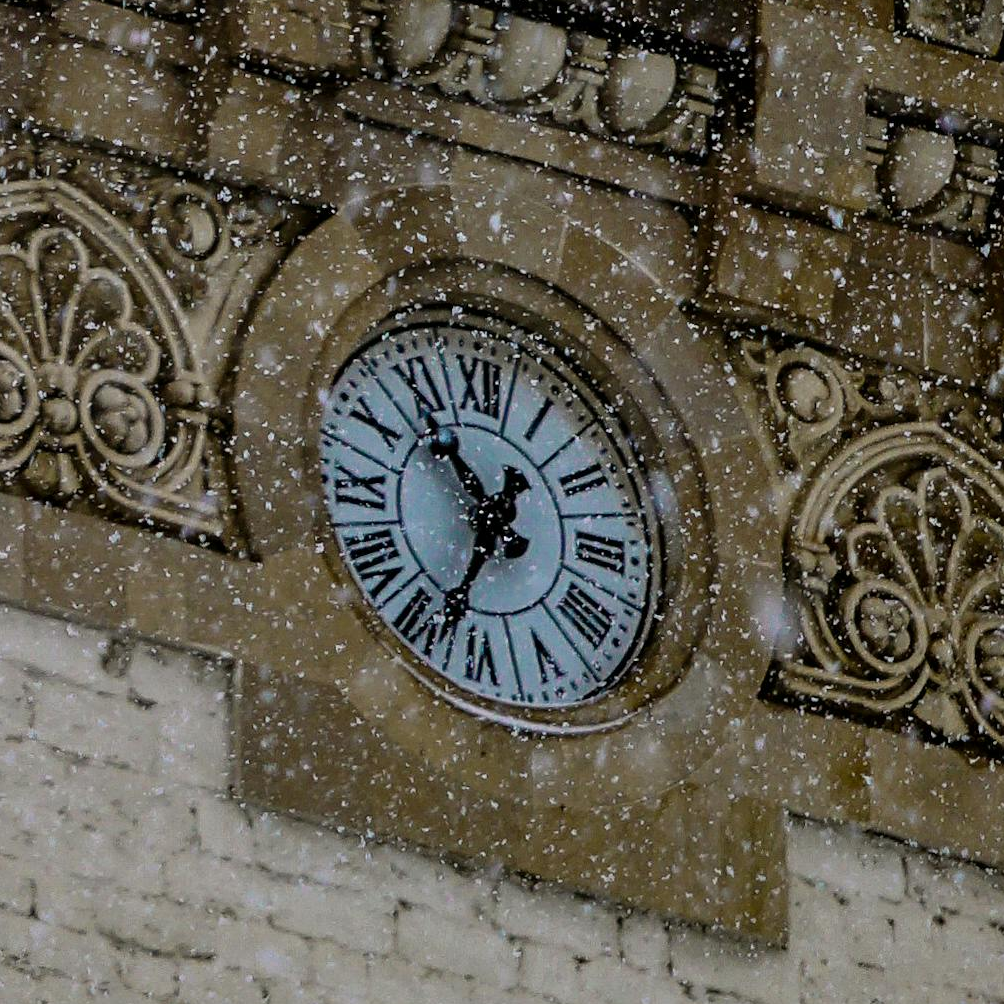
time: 10:34
